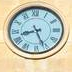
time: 8:26
